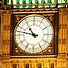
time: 10:47
